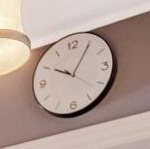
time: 10:05
